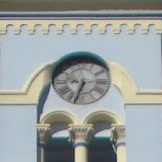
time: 9:33
